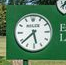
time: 5:38
